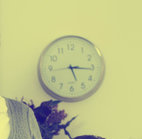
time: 5:15
